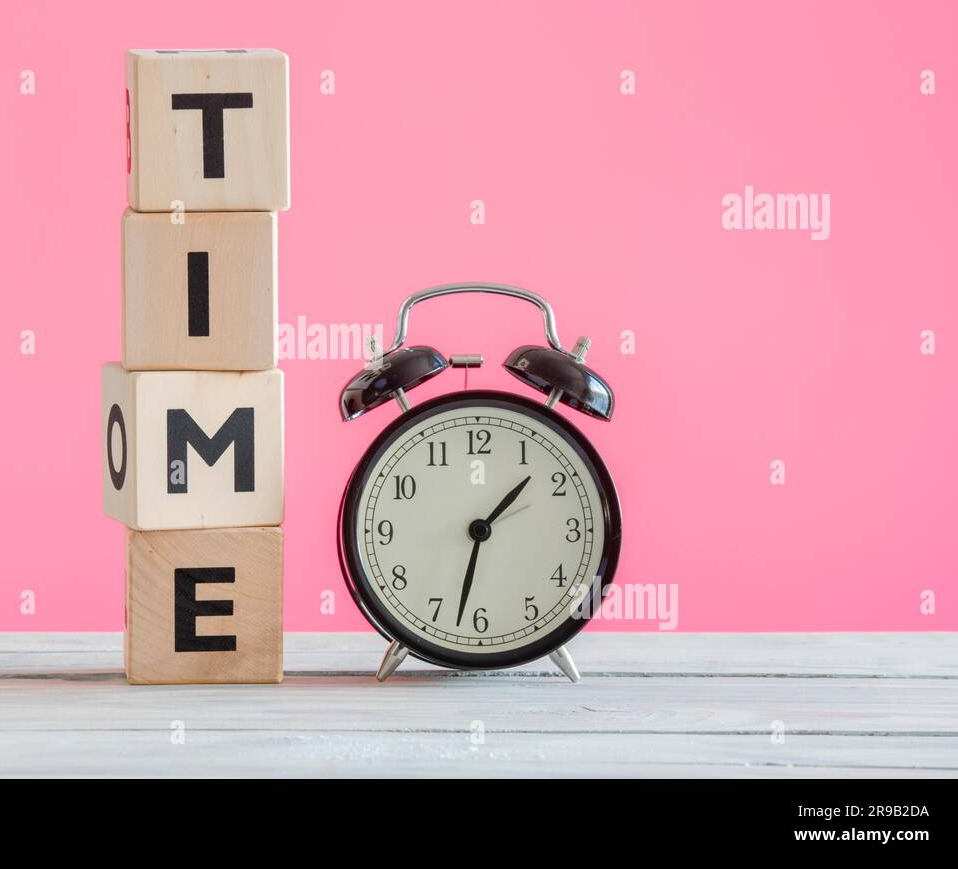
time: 1:32
